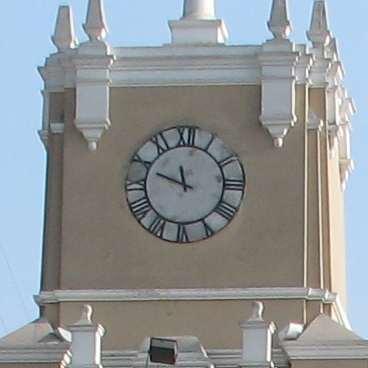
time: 11:48
